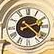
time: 2:21
